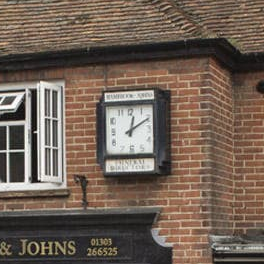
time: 12:09
